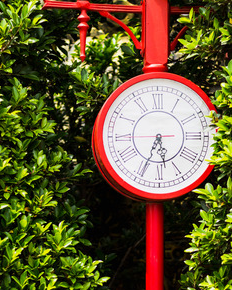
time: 5:33
